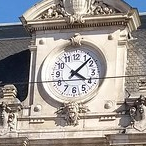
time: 4:07
